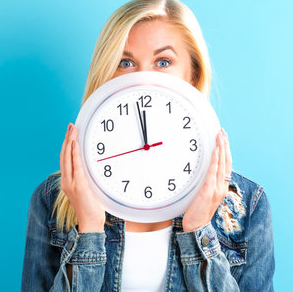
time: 11:58
